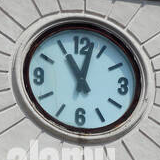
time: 11:02
